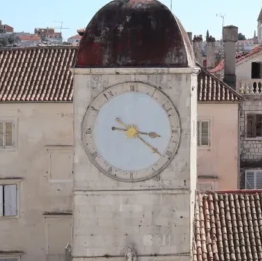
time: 3:21
